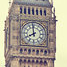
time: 7:58
